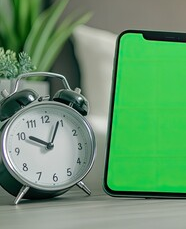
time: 10:04
